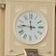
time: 11:46
